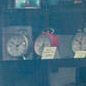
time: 7:32
